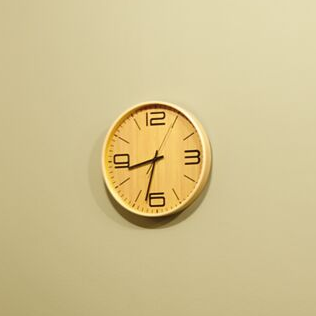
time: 8:32
